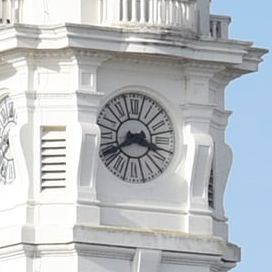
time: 3:40
